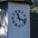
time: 11:17
